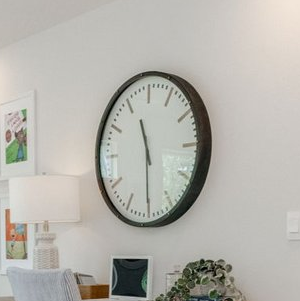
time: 11:29
